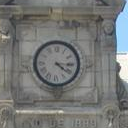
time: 4:15
